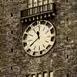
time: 11:40
